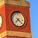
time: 7:21
